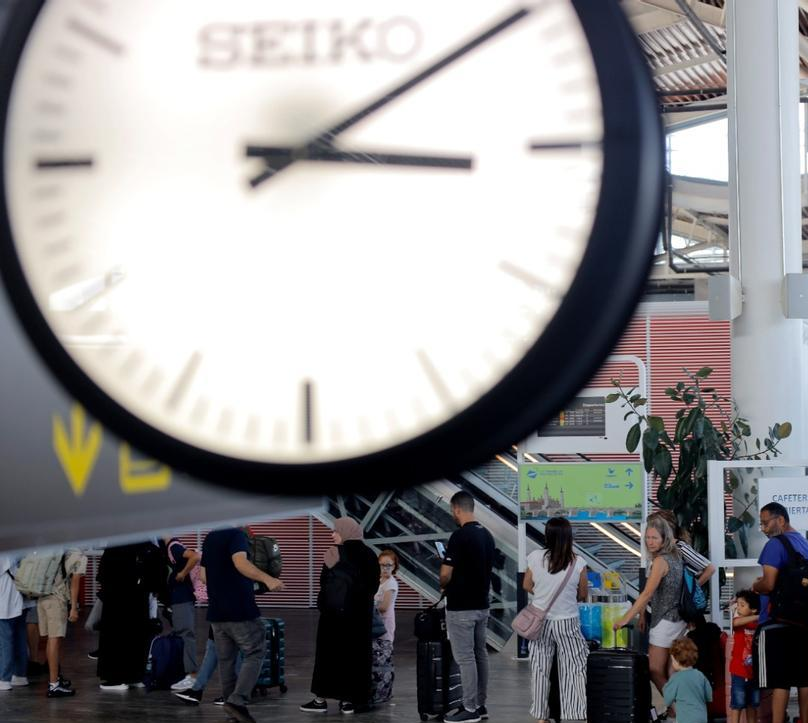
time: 3:09
